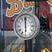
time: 6:00
